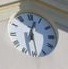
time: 12:28
